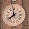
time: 7:58
